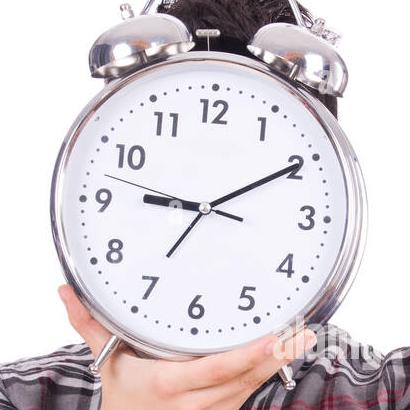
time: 9:10
